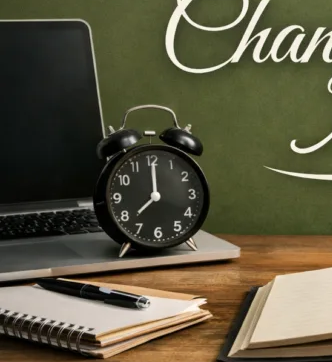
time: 12:00
